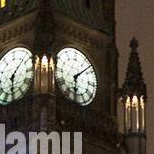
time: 6:07
